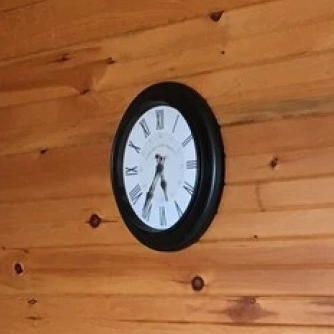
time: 5:35
